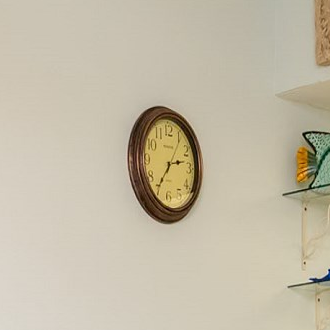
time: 2:36
